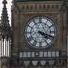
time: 4:18
